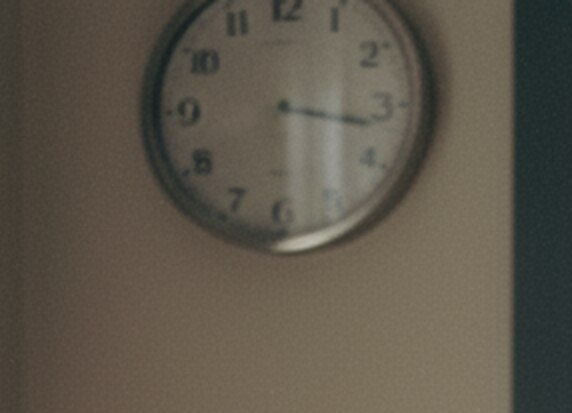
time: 3:29
